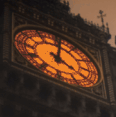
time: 4:01
